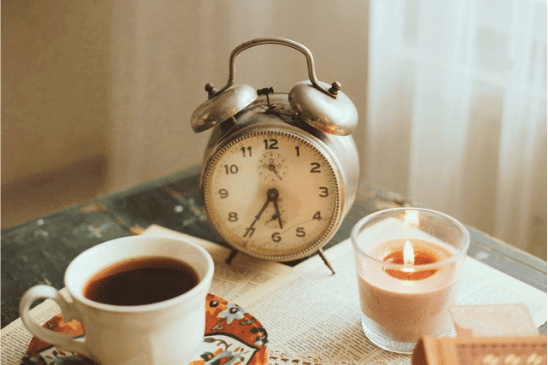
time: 5:35
